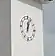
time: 12:03
